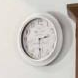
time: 2:29
